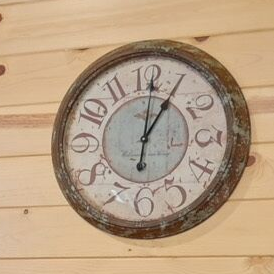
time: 1:01
